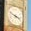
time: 3:48
